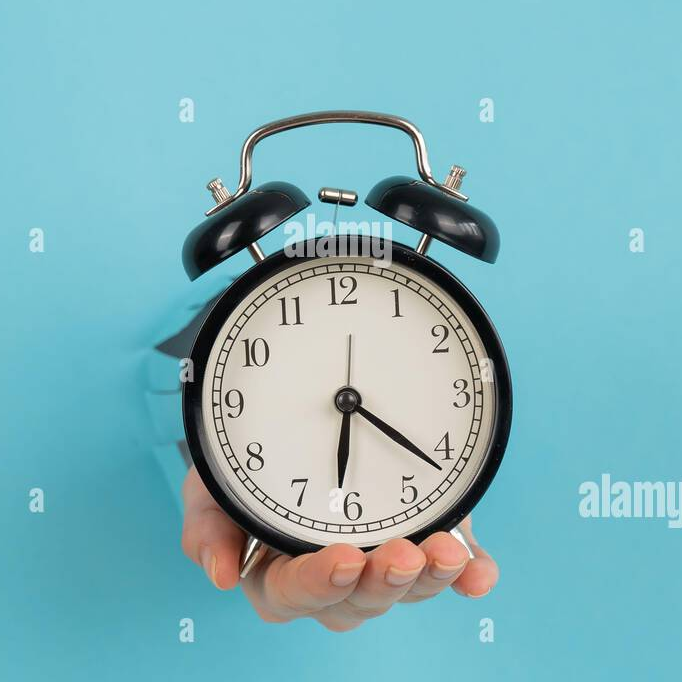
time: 6:21
